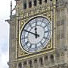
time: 11:49
